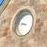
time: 8:47
